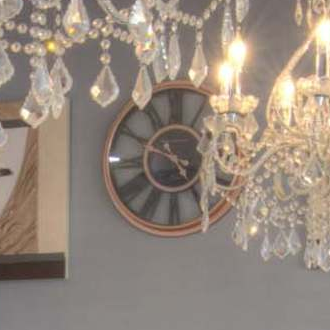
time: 4:49
